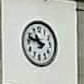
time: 10:47
